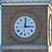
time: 12:14
